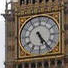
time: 5:24
